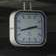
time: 2:42
